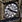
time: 10:18
